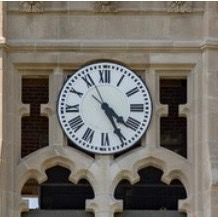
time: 4:25
